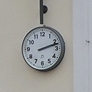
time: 2:12
